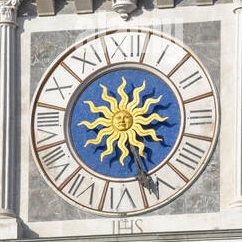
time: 3:26
